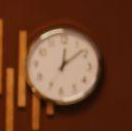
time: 12:08
